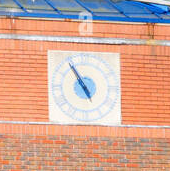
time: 4:54
